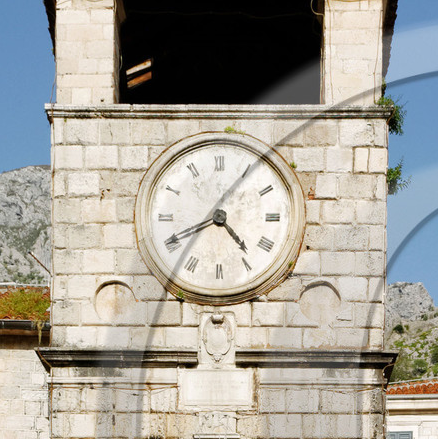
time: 4:40
